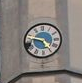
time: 4:46
